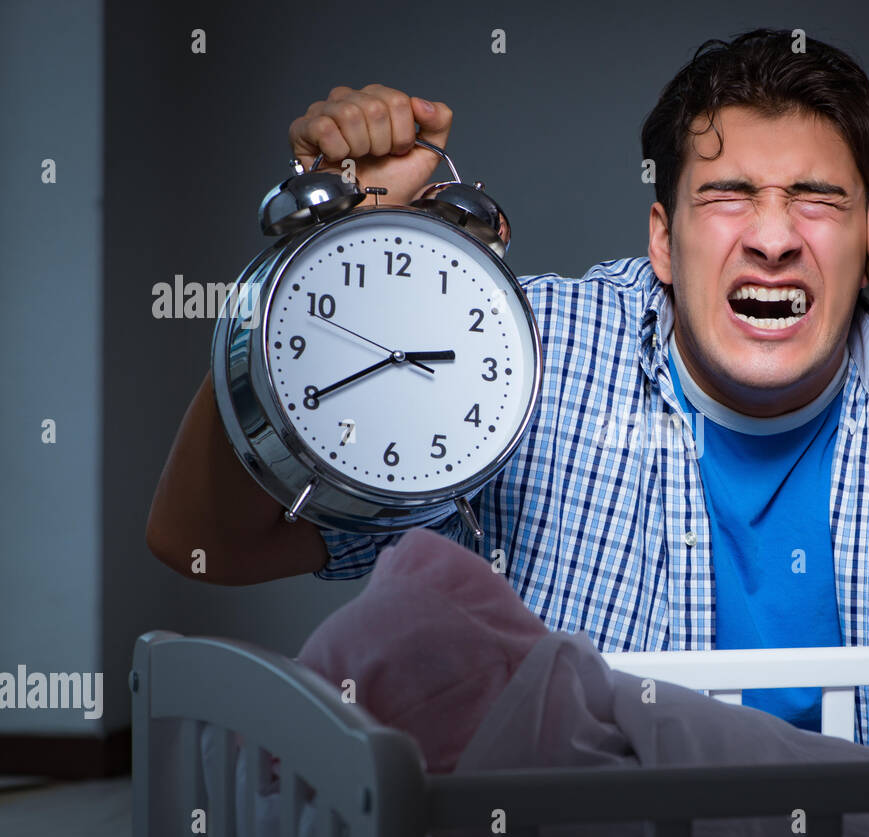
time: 2:40
